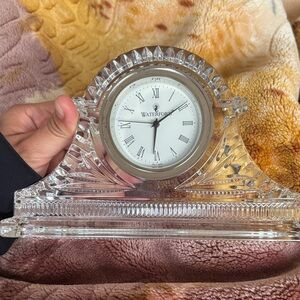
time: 12:09
